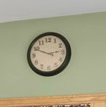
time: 2:49
